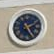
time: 2:24
